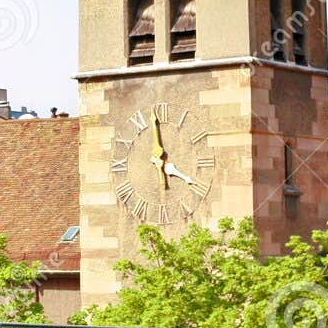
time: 3:58
